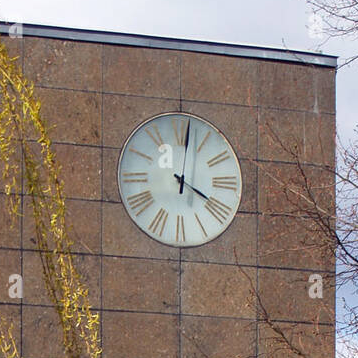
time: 4:01
